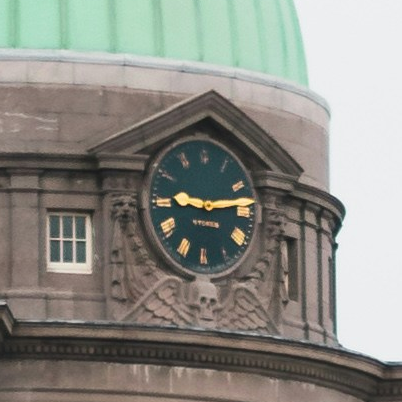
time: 9:13
